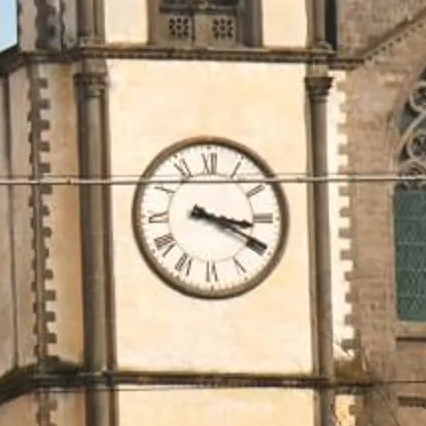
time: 3:19
